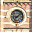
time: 8:07
